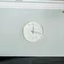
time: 12:17
